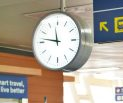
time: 11:46
